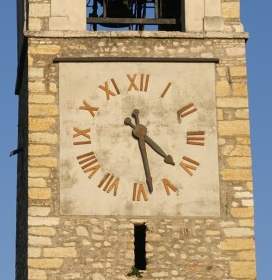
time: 4:28
